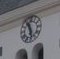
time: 11:28
